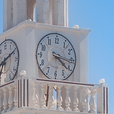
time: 4:16
